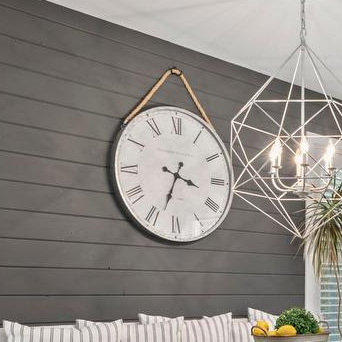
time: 3:33
